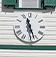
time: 11:27
